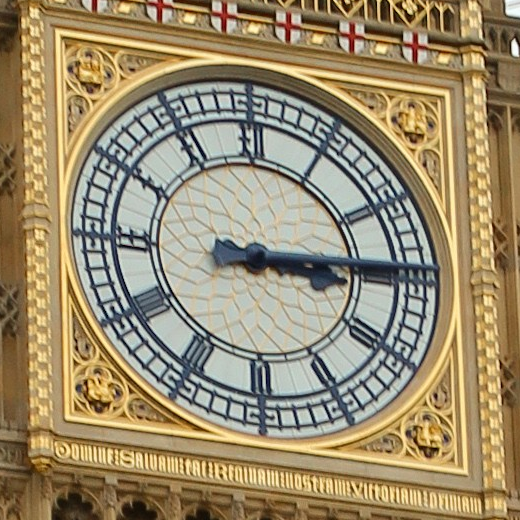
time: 3:14
